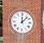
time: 12:07
